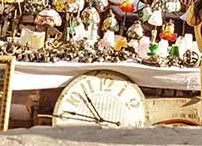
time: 10:47
